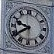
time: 9:39
